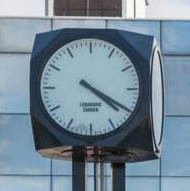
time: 4:20
